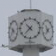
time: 10:37
